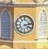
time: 4:13
